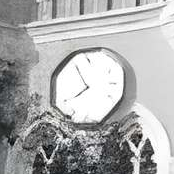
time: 7:55
